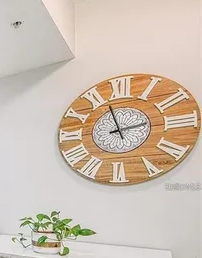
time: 2:57
